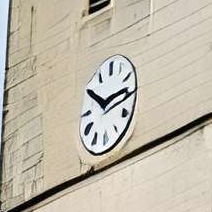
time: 10:13
